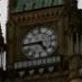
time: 4:44
